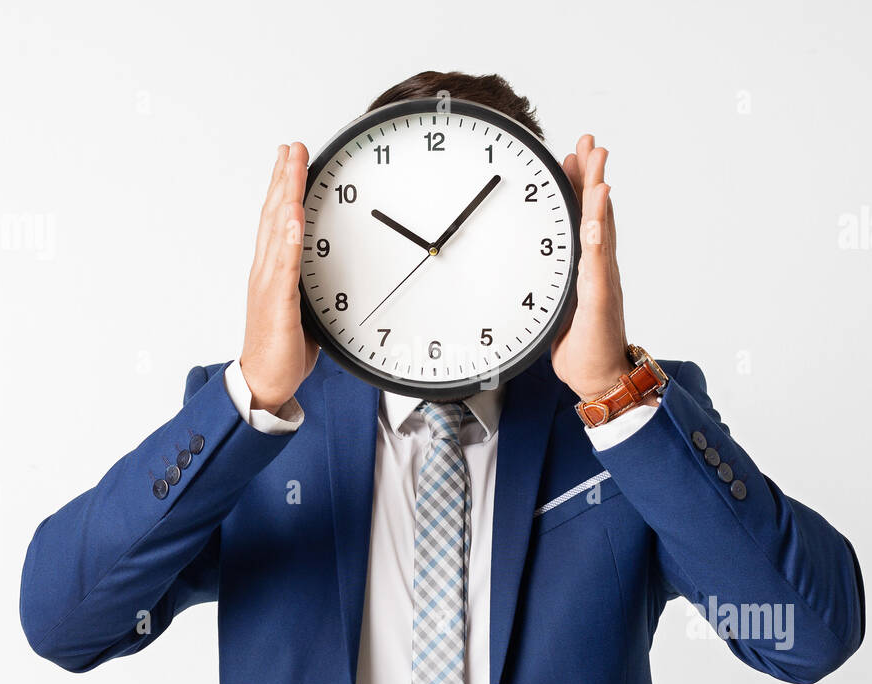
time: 10:07
